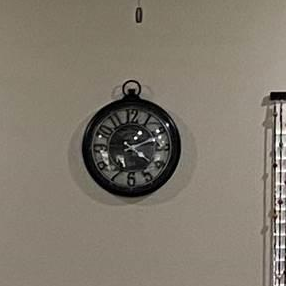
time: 4:11
